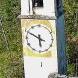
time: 5:49
